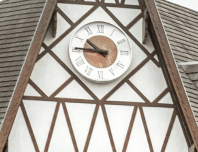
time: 10:45
